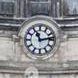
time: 11:13
